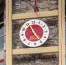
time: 4:56
